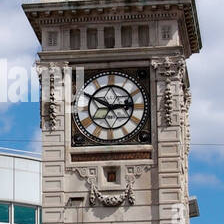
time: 2:49
